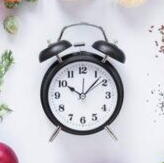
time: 10:07
